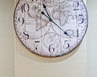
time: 11:22
